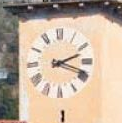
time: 2:18
